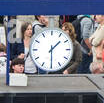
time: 1:29
